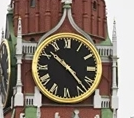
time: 10:23
